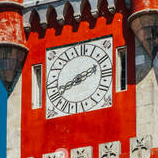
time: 8:11
